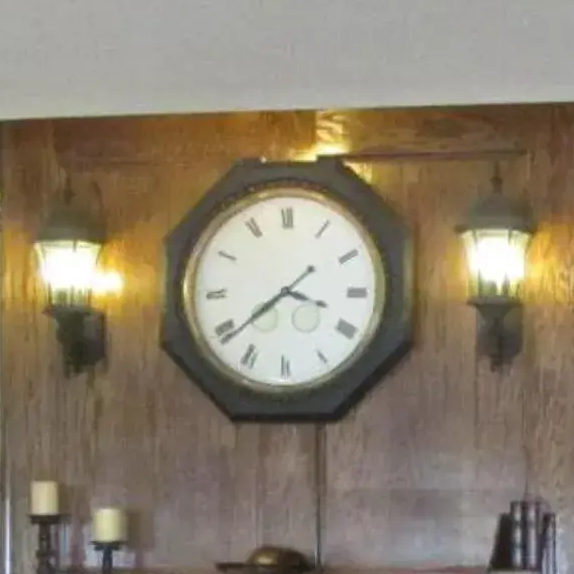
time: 3:38
